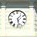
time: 1:28
